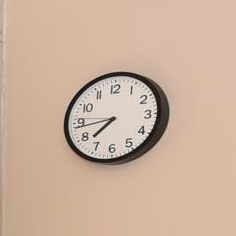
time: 7:43
